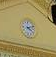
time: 4:12
